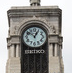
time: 12:51
